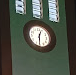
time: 12:30
